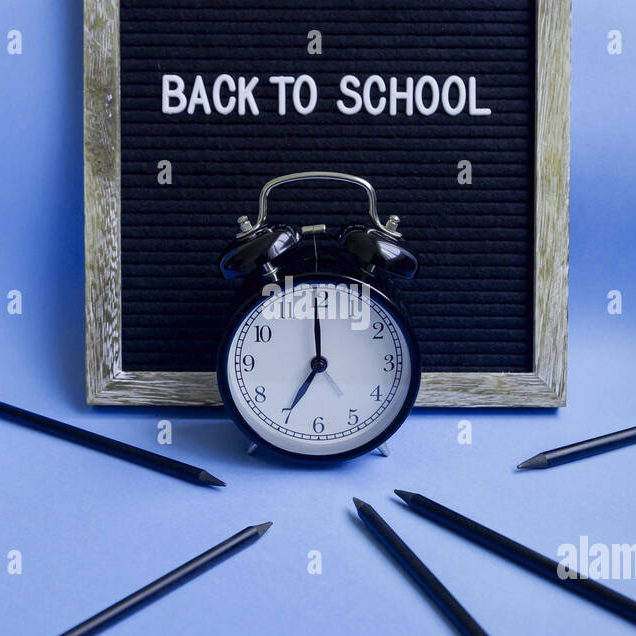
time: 7:00
